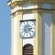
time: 5:14
